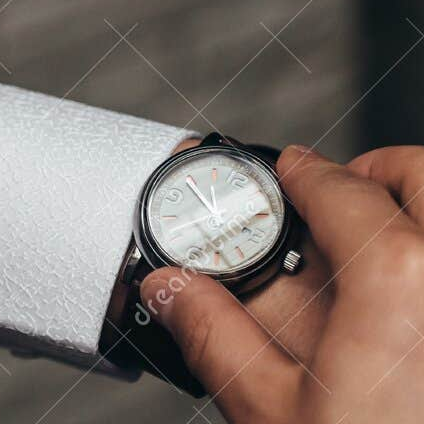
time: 11:54
